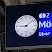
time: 9:08
